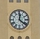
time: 12:21
